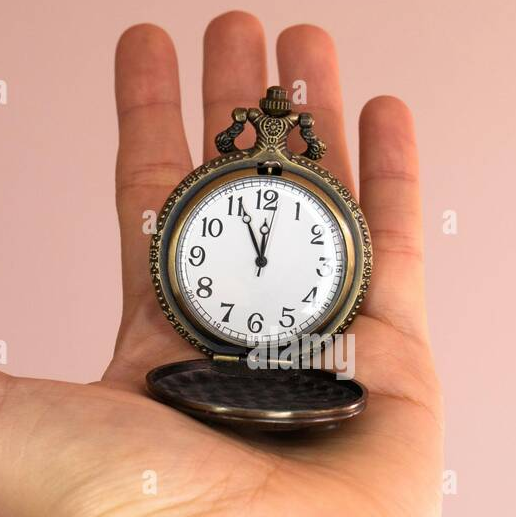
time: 11:55
